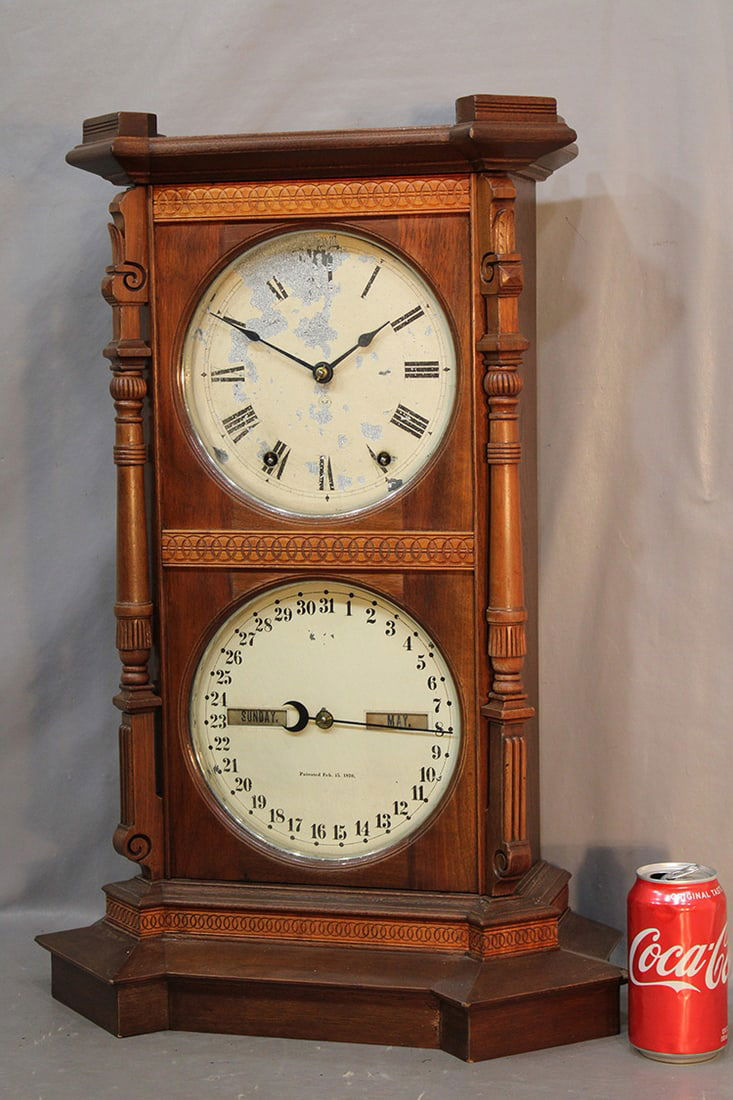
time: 1:50
